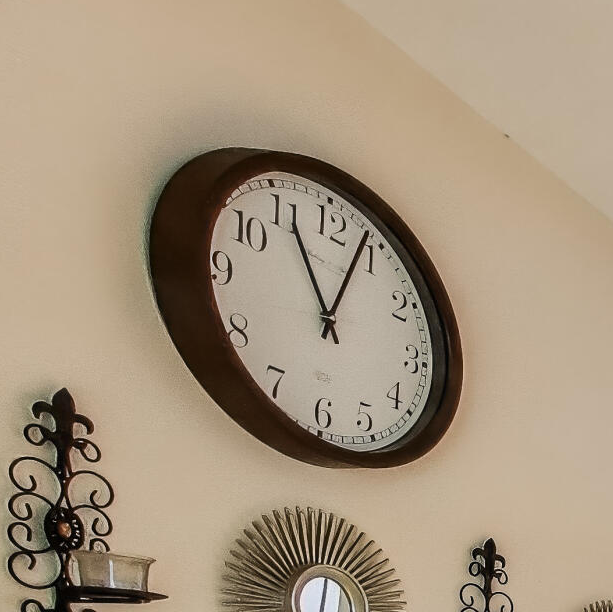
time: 11:03
